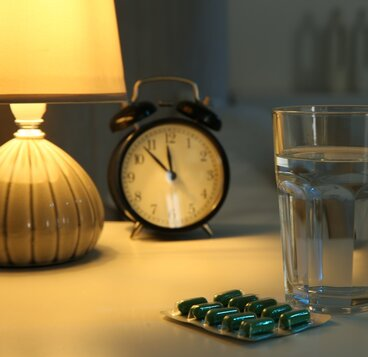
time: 11:52
